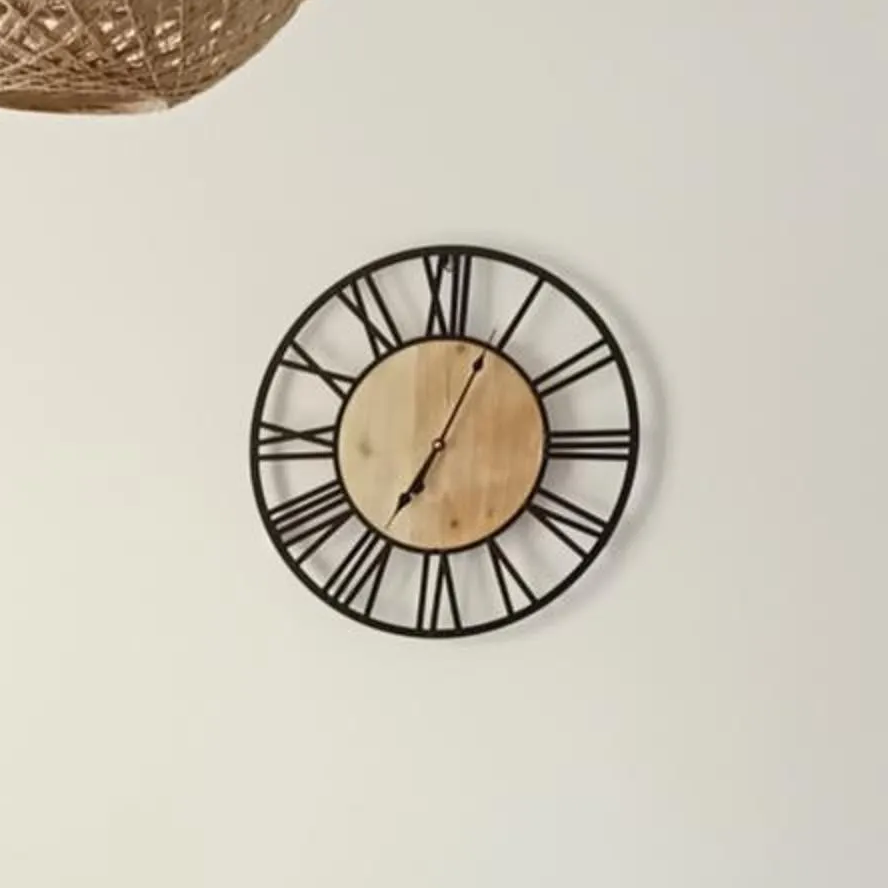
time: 7:04
